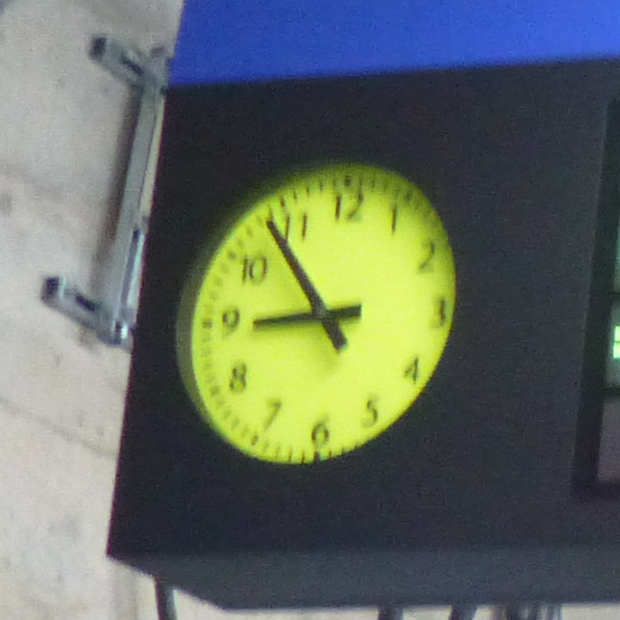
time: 8:53
